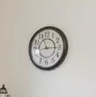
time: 11:14
